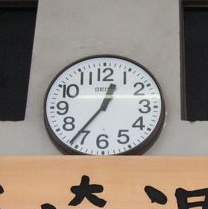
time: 12:36
